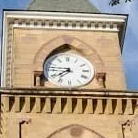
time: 7:46
